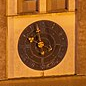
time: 9:57
